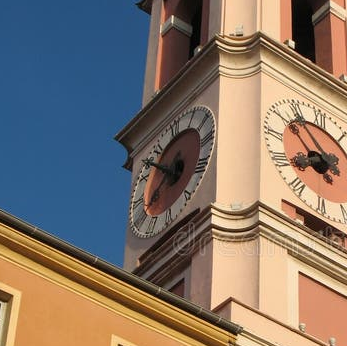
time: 7:51
